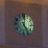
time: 12:24
